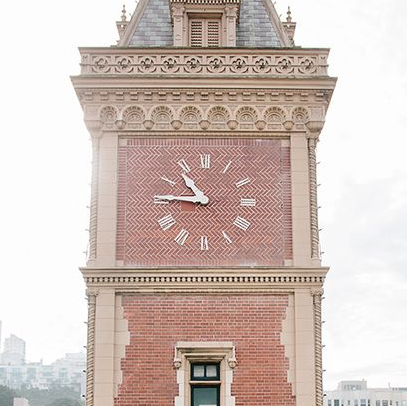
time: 10:45
